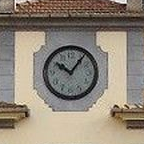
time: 10:06
